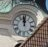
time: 11:58
